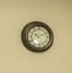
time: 10:11
